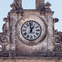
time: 12:59
